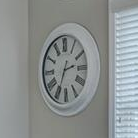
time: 2:34
